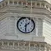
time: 1:30
